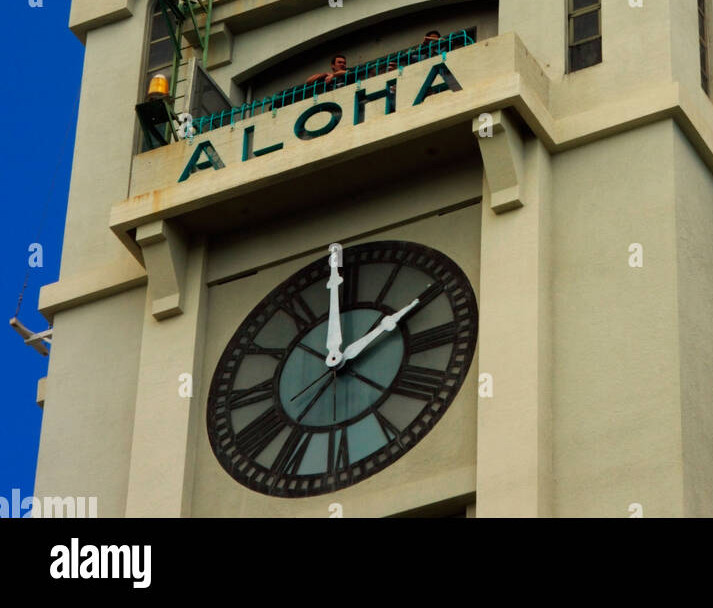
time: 1:59
